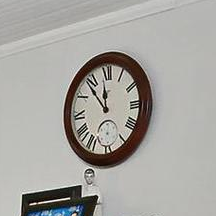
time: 11:53
